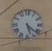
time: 5:21
